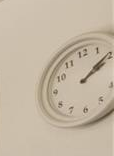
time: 2:09
